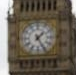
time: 1:25
